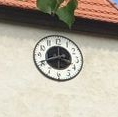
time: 3:41
